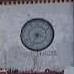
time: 3:34
